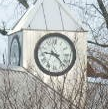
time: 9:22
